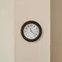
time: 11:22
